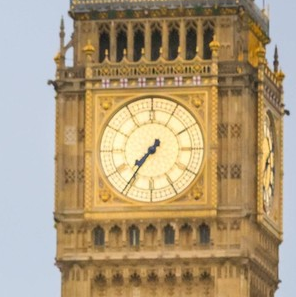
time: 7:36
